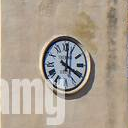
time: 4:01
